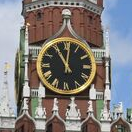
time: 11:01
